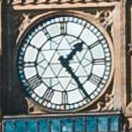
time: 1:24
